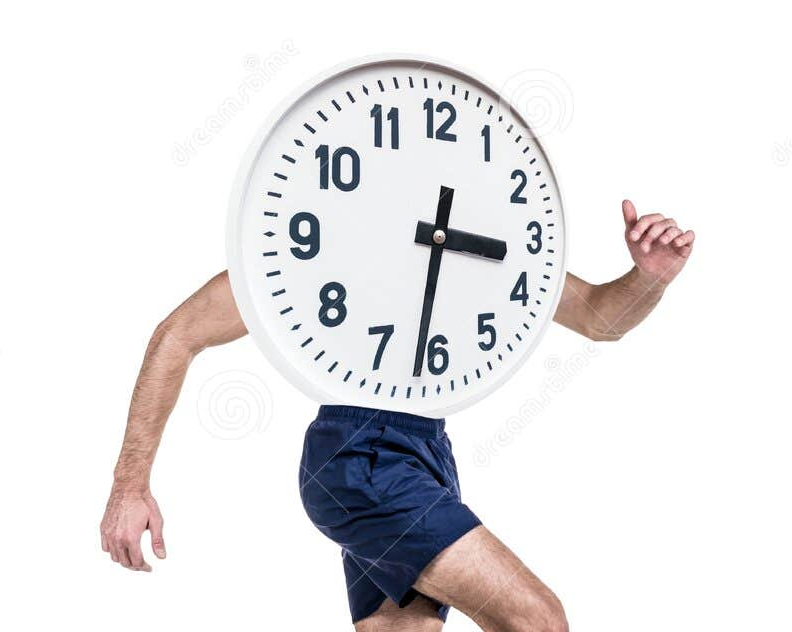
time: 3:31
